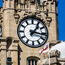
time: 1:16
